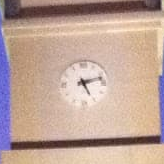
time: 5:12
